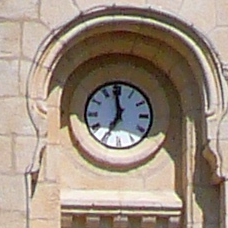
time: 6:58
